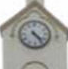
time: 4:23
